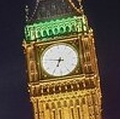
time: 6:47
